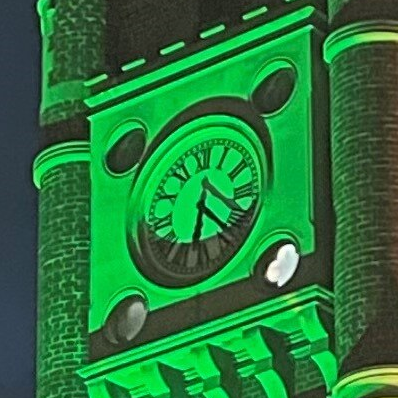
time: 6:23
